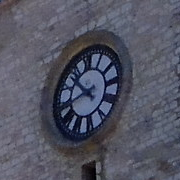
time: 10:42
